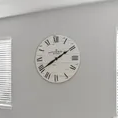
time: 8:09
